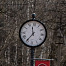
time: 11:35
